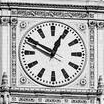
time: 12:49
